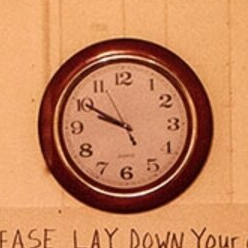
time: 9:50
